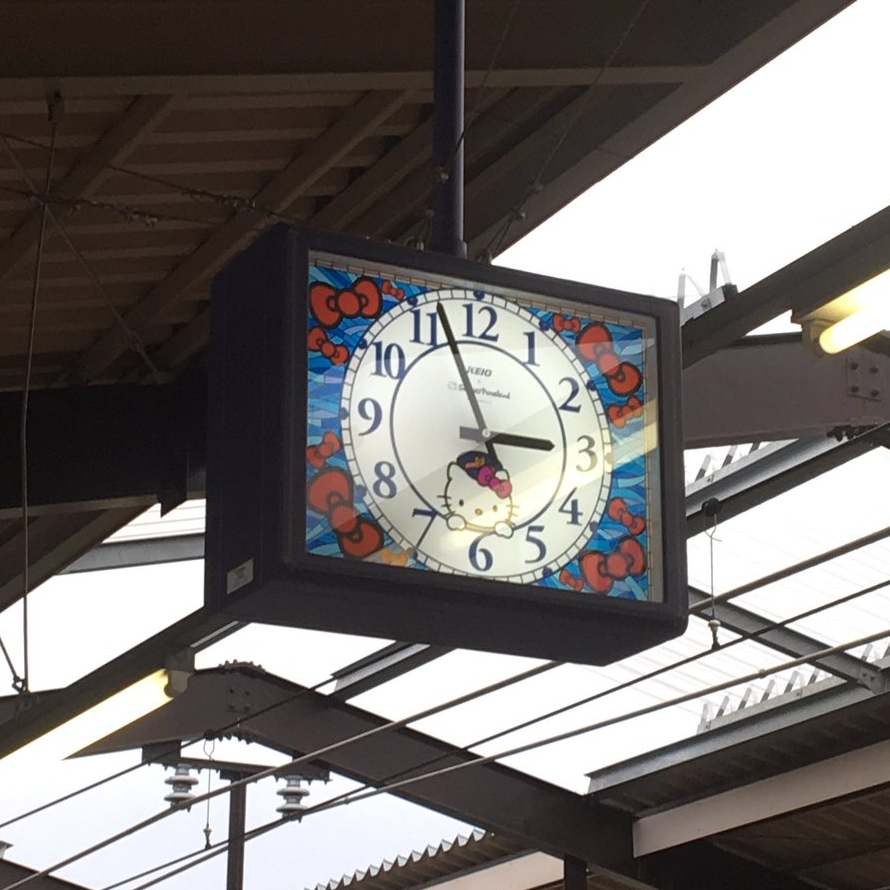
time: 2:57
